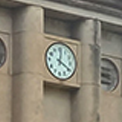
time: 12:19
